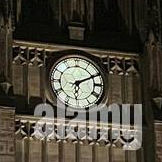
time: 6:10
